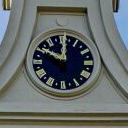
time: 10:00
